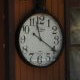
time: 11:20
